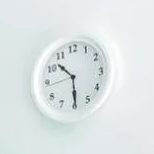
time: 10:29
